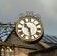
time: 10:28
